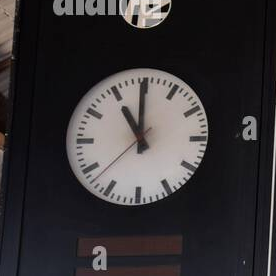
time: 10:59
